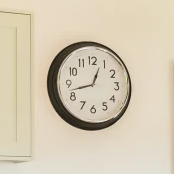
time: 12:42
